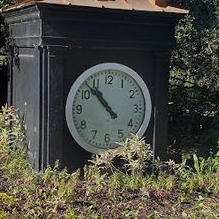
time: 10:52
